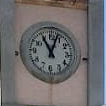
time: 11:03
